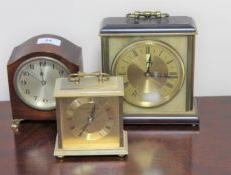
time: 12:16
